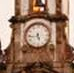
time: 5:43
